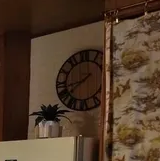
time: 8:38
